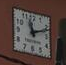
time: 11:11
